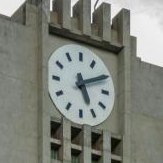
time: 5:10
